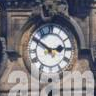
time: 2:51
